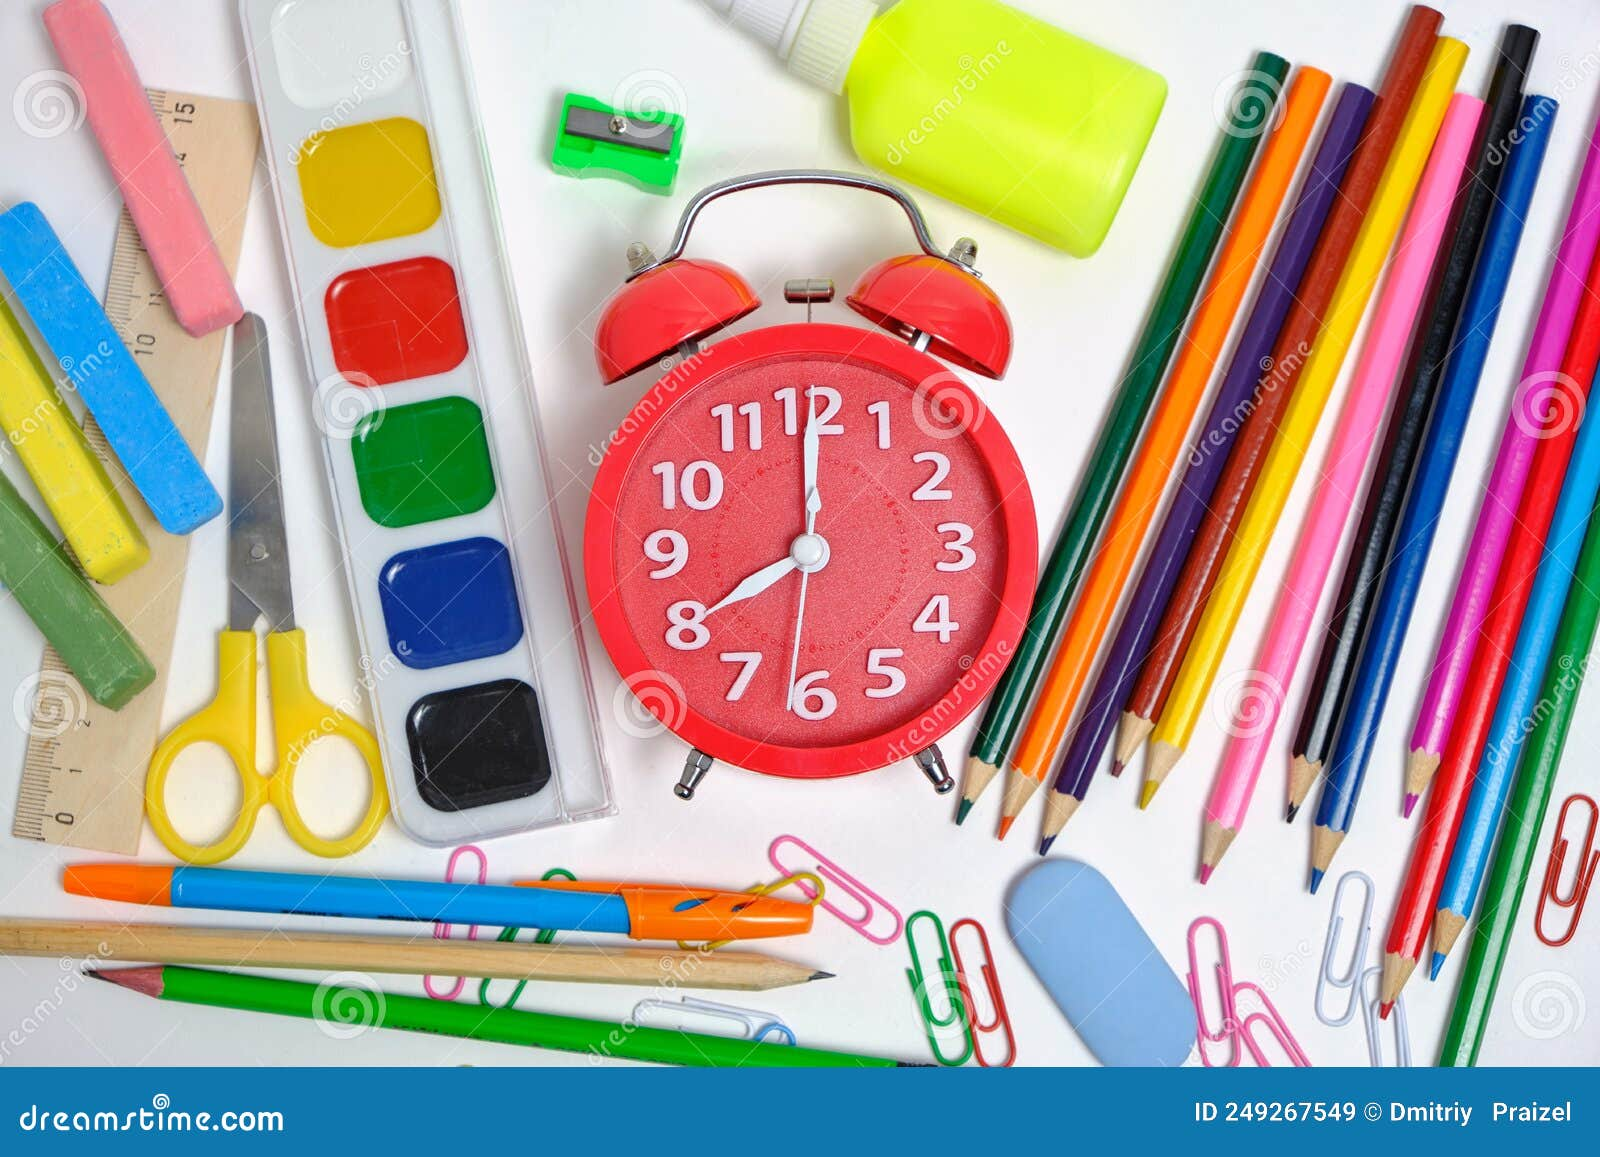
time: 8:00
